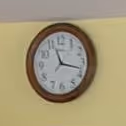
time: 11:17
